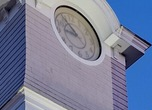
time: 8:53
